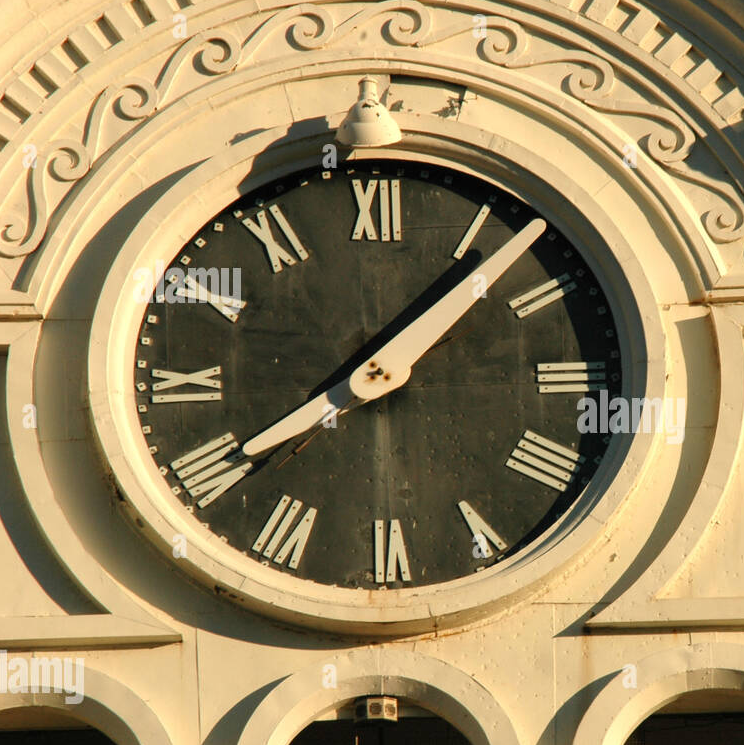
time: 8:07
